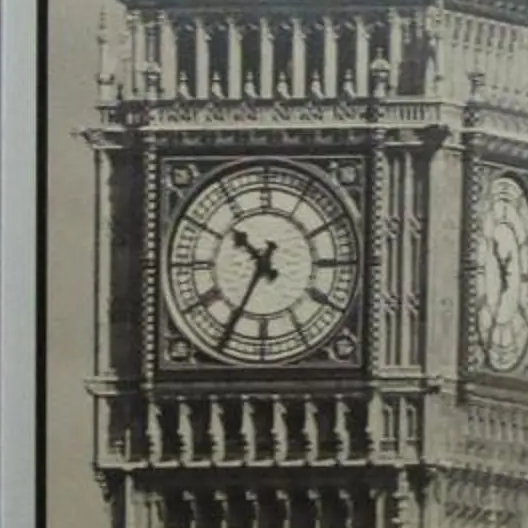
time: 10:34
